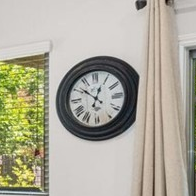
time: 12:51
